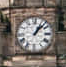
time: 1:07
